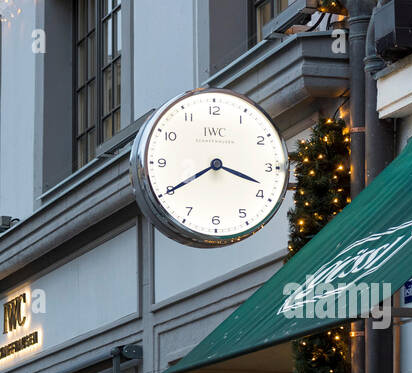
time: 3:39
